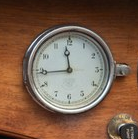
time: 11:44
